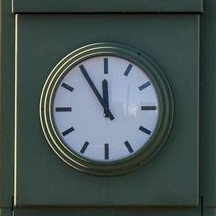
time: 11:54
